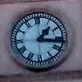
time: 1:16
